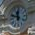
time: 11:47
